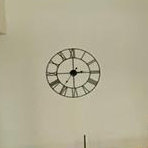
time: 2:59
